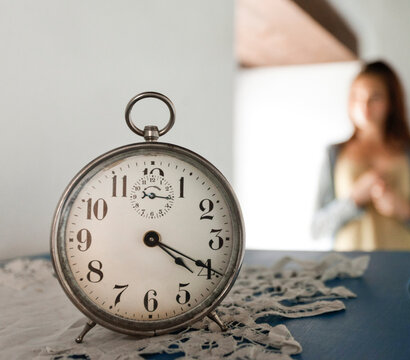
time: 4:19
